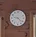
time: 9:22
